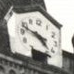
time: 4:48
